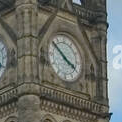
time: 3:51
